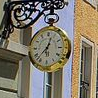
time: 12:37
